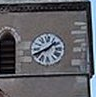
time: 1:40
